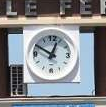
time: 12:49
